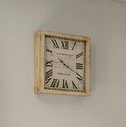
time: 10:19
